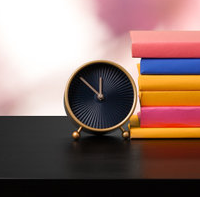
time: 11:51
